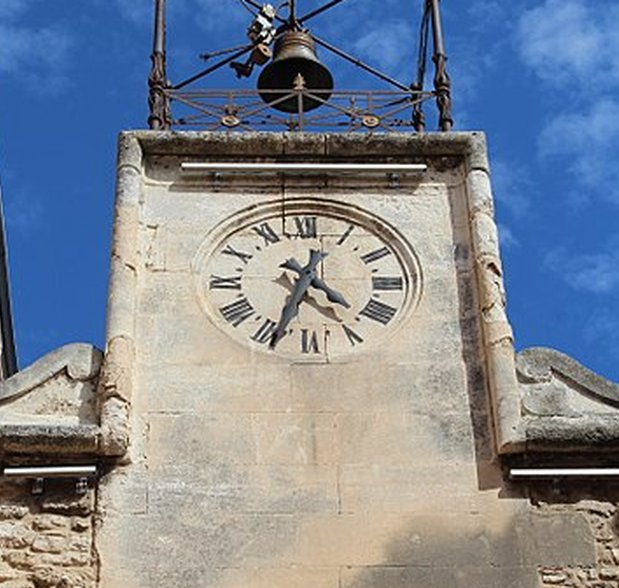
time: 4:33
